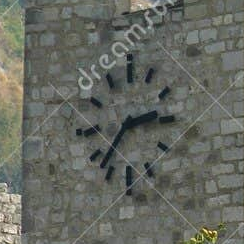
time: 2:36
